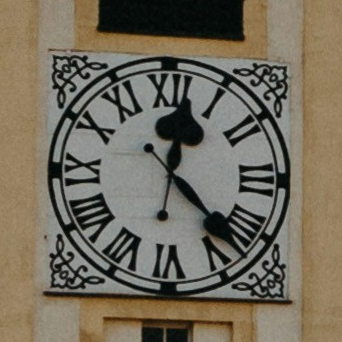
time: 12:22
